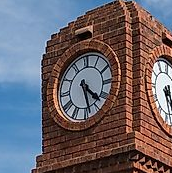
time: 4:28
